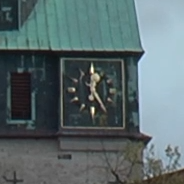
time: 12:24
